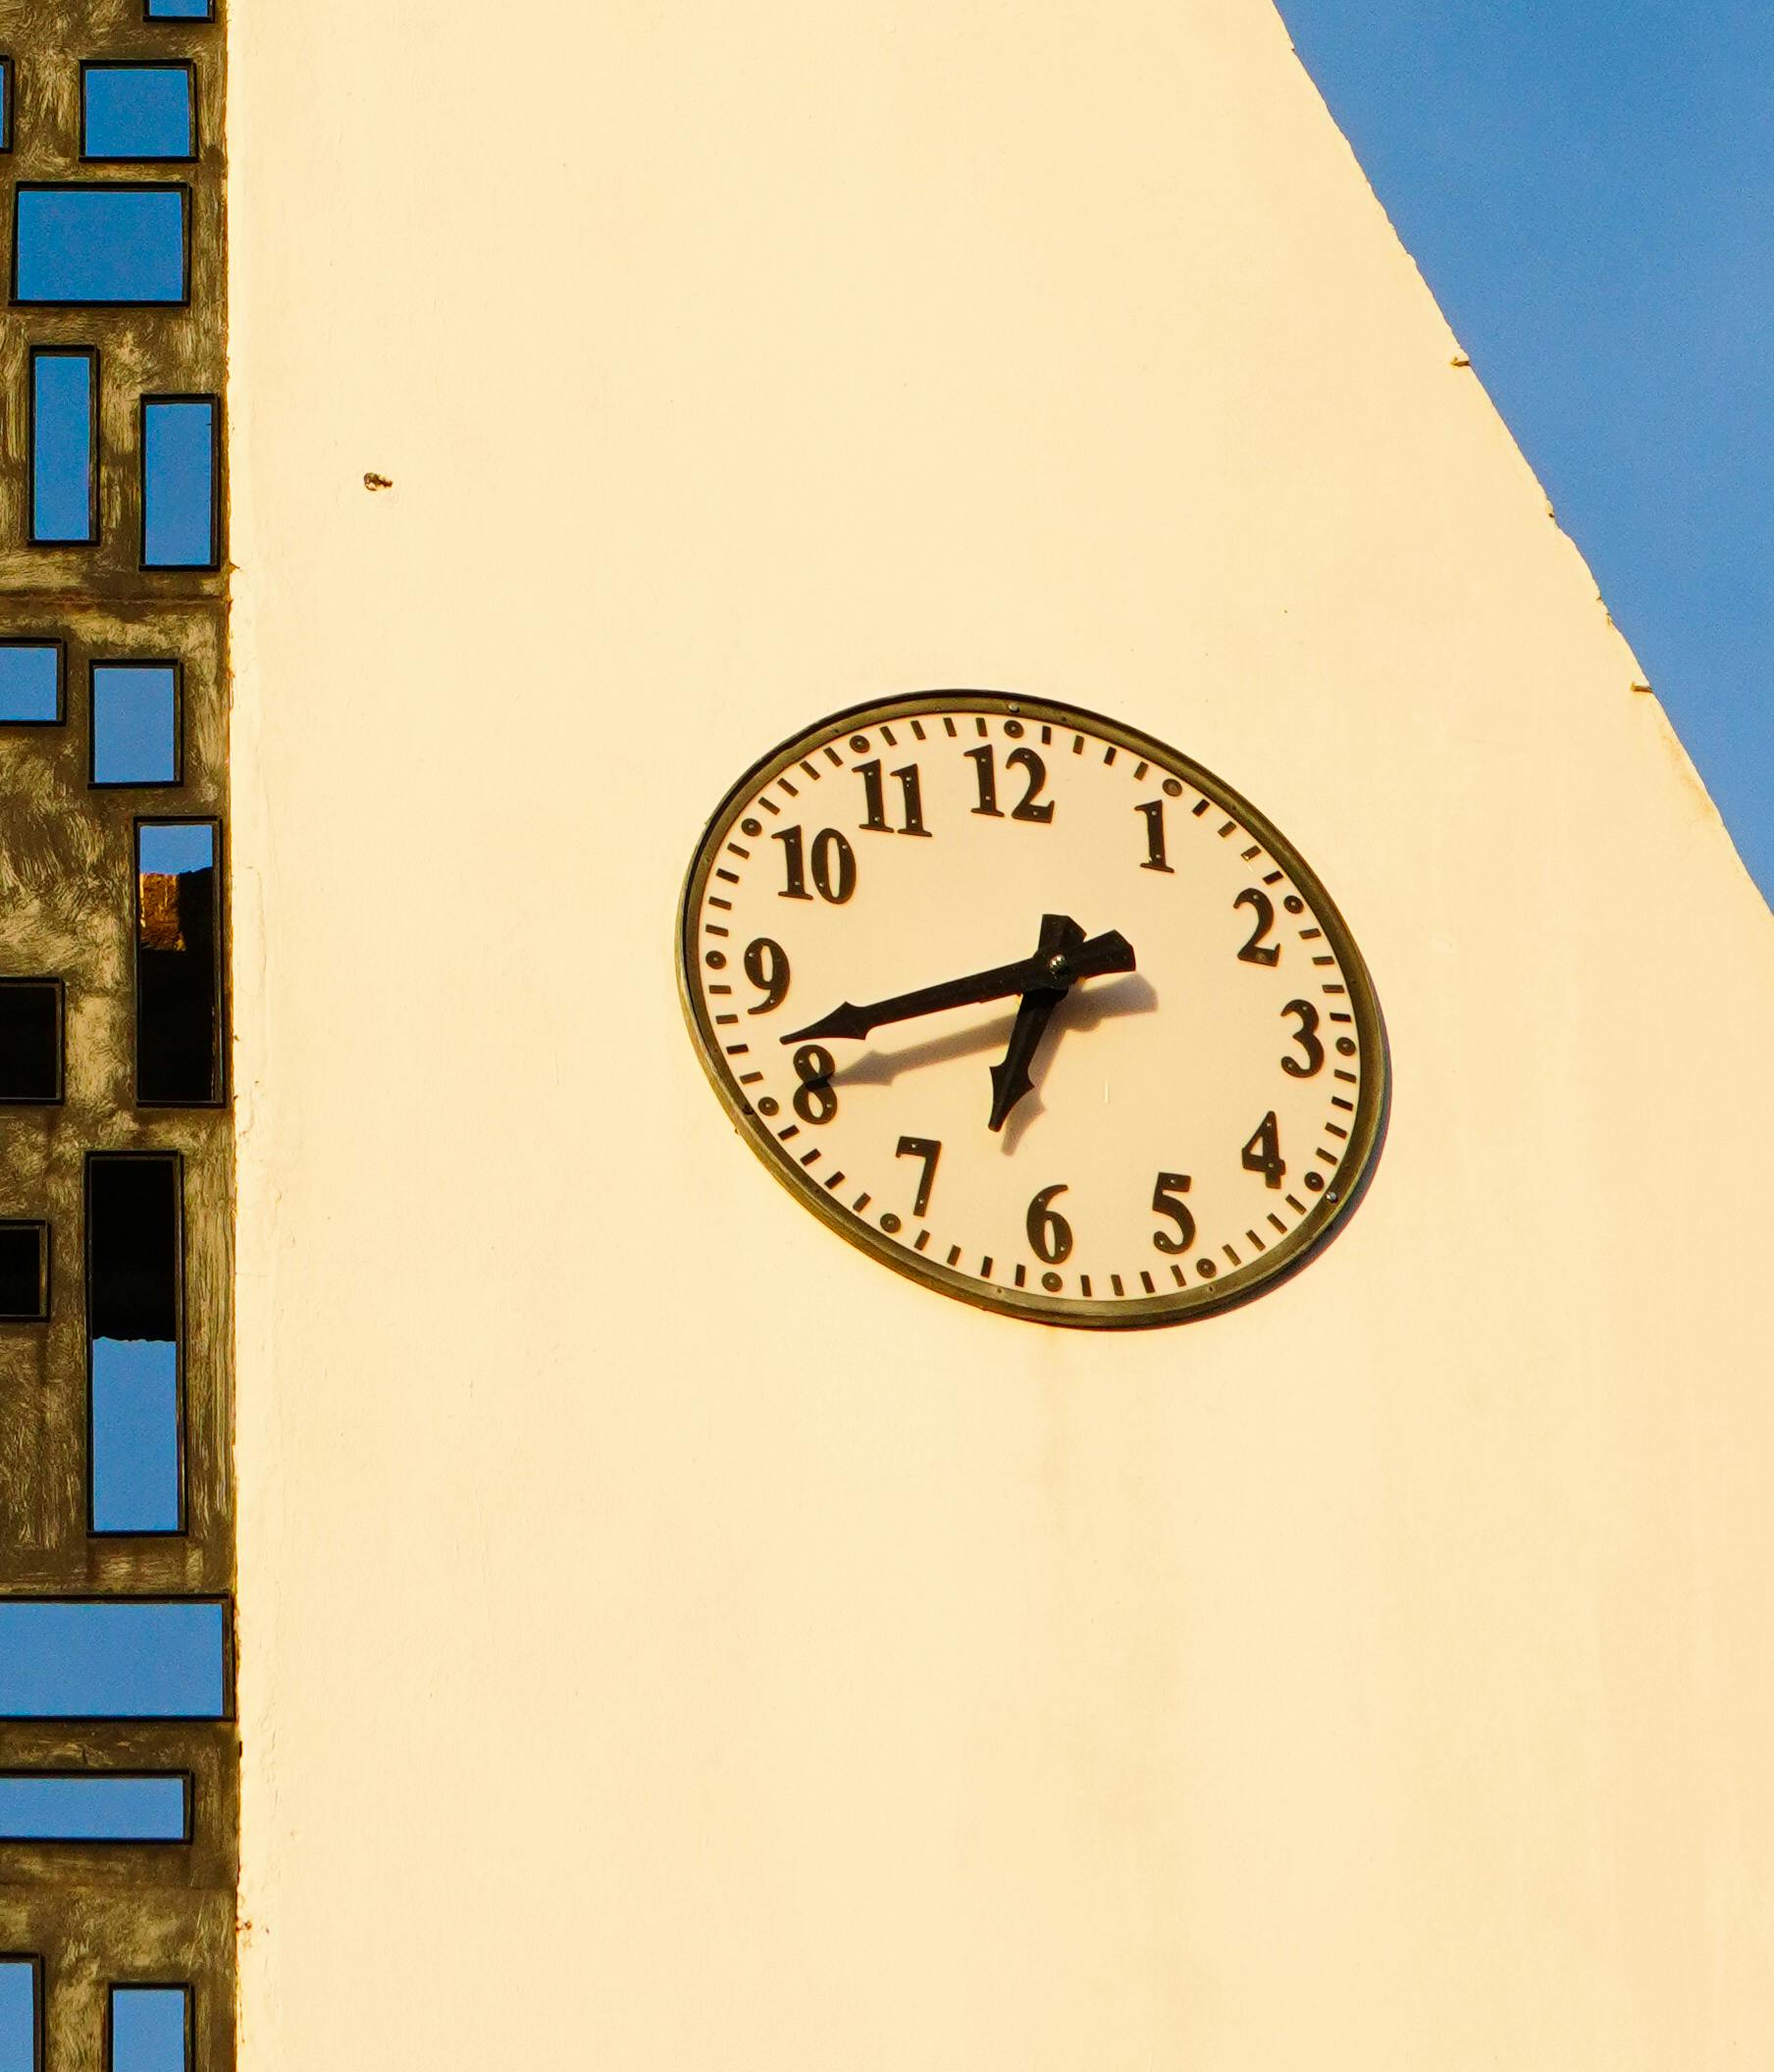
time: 6:41
